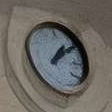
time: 1:08
